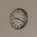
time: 9:18
